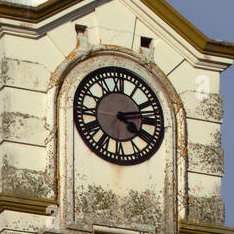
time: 4:12
